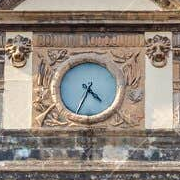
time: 4:34
